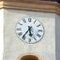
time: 5:36
